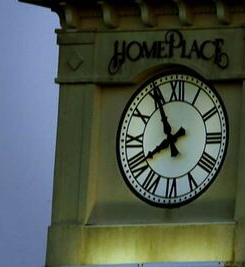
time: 7:54
